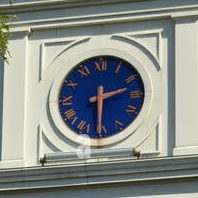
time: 2:30
